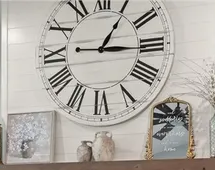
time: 3:05
